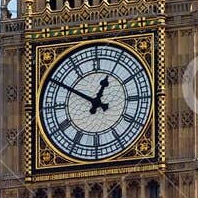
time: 12:50
